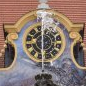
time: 5:59
